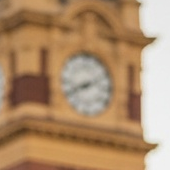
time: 8:11
